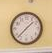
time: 1:37
